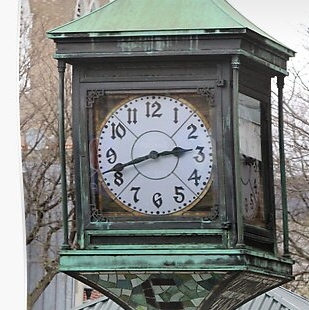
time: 2:42
